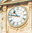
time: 10:47
